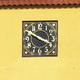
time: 3:50
